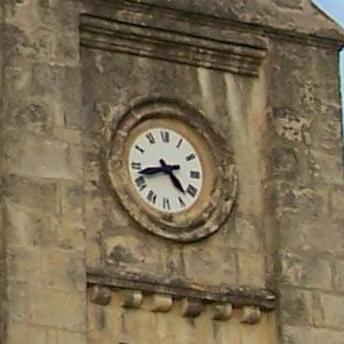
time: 4:42
